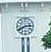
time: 2:40
